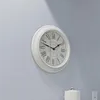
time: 1:47
